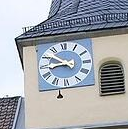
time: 8:50
